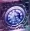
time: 5:40
